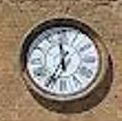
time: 11:35
